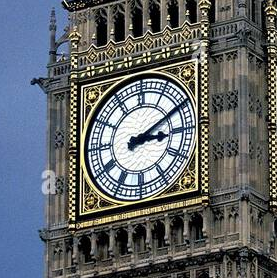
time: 3:10
